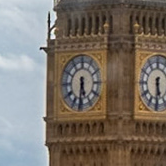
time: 5:31
